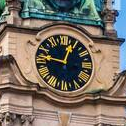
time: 12:46
